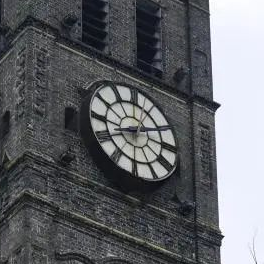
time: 8:11
